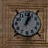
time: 1:02
